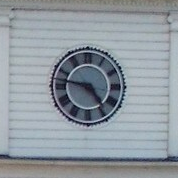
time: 4:46
